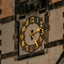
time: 2:23
